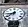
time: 8:38
